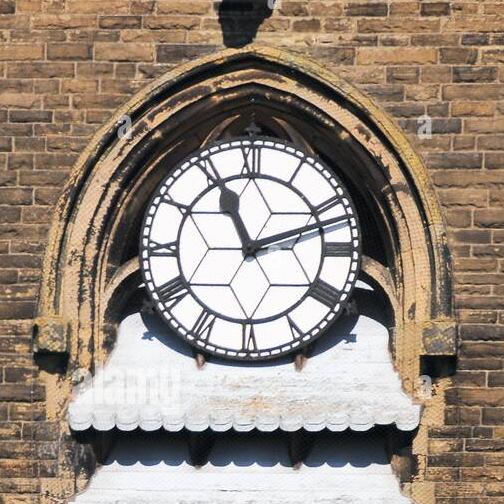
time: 11:11
